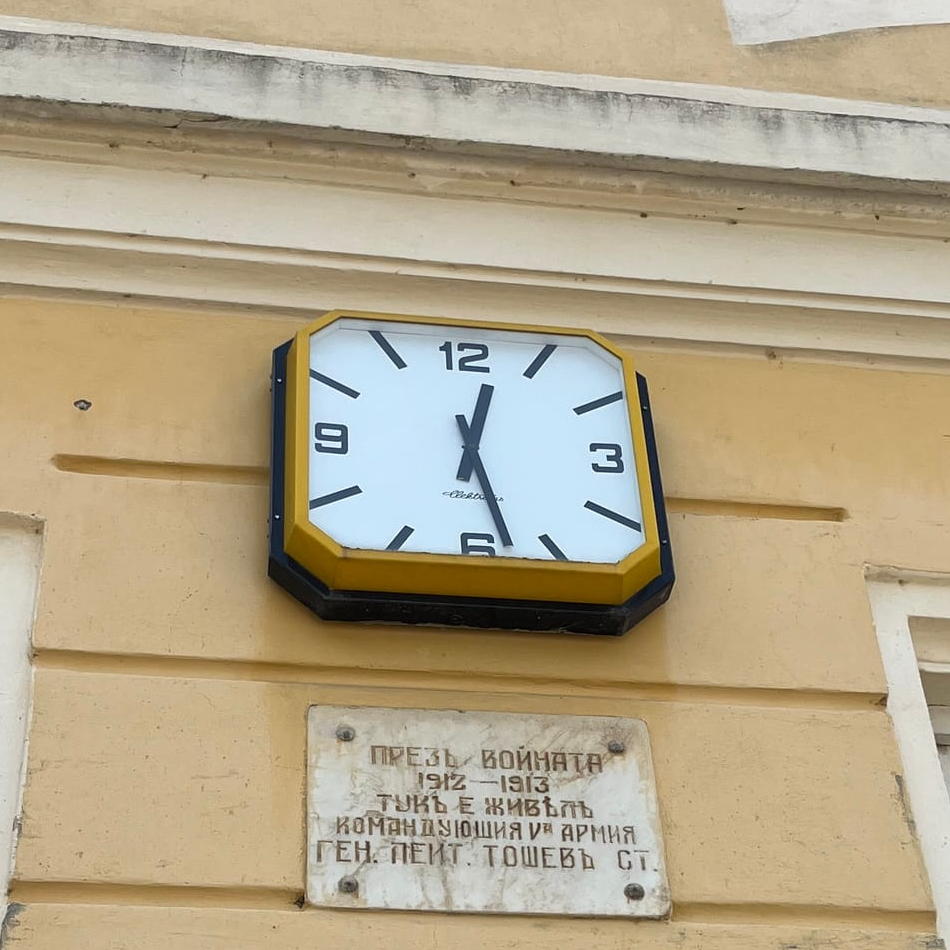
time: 12:27
